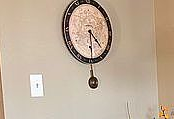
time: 4:29
